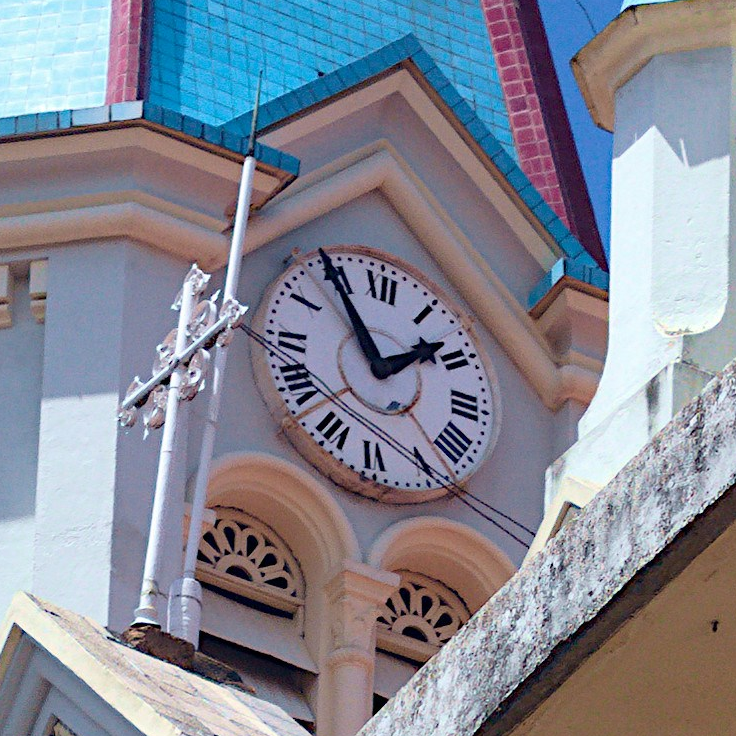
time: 1:54
